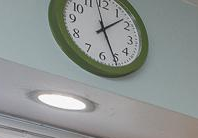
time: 1:25
